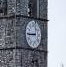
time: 8:44
